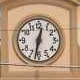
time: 12:32
